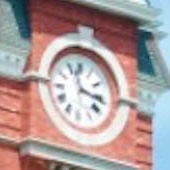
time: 11:16
